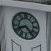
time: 8:23
